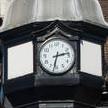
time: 2:32
